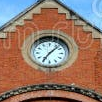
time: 7:07
